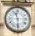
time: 11:29
